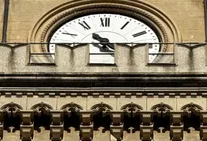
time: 4:14
